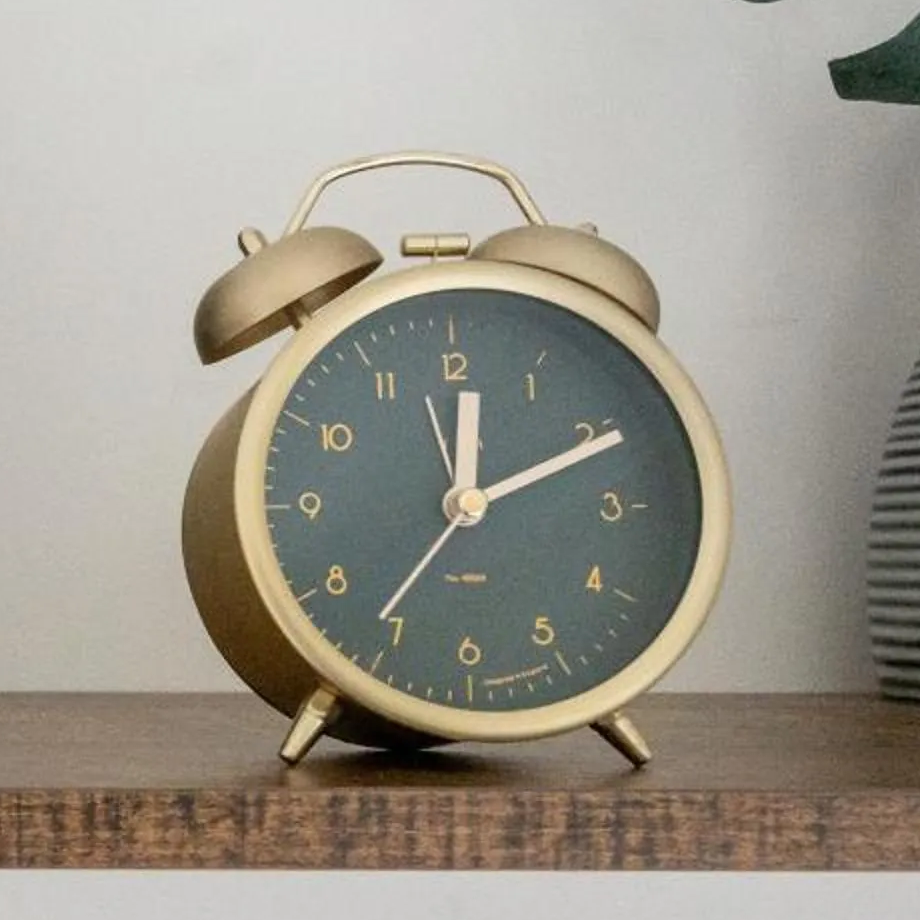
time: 12:10
